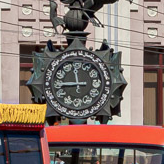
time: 11:44
